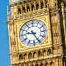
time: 9:25
